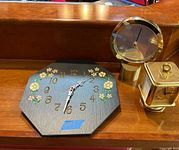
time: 1:32
